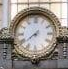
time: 7:38
